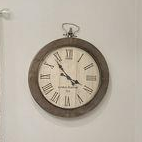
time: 3:53
